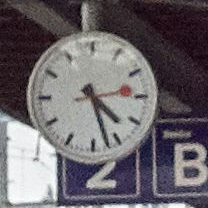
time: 4:27
